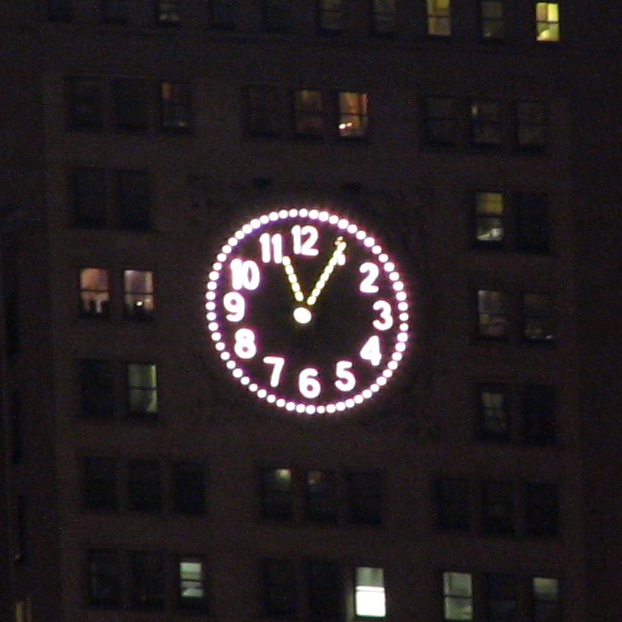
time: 11:05
